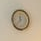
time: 11:37
